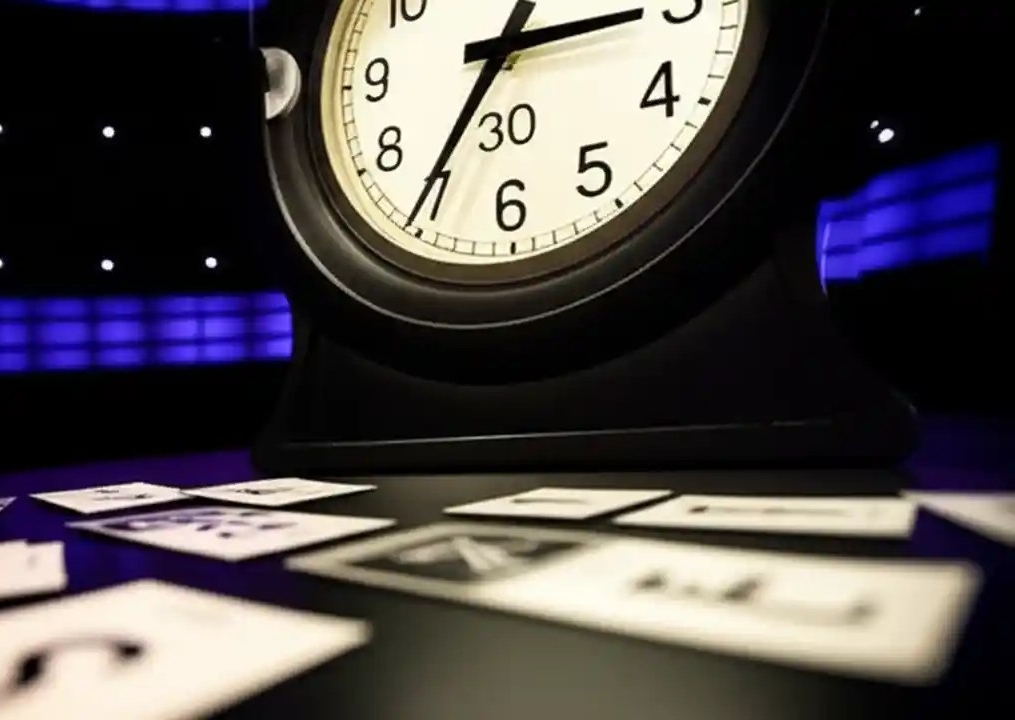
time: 2:35
